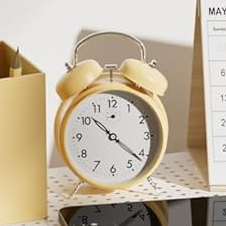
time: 10:21
